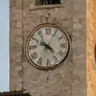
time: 10:04
